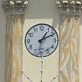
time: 1:10
